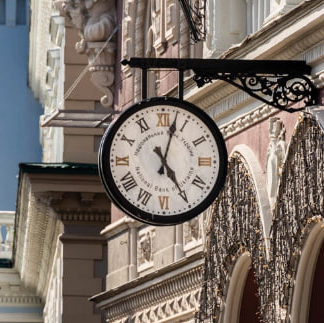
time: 5:02
